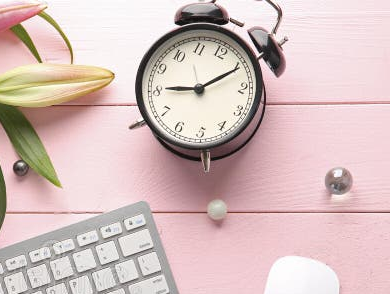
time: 9:10
